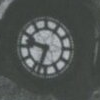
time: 9:33
